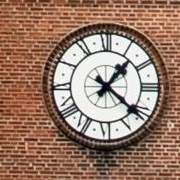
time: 1:21
